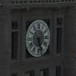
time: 5:26
